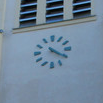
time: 4:20
